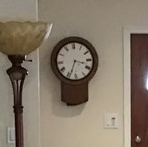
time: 3:33
